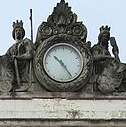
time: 10:23
